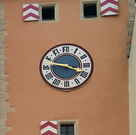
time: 3:47
